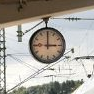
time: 3:00
